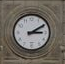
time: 3:09
